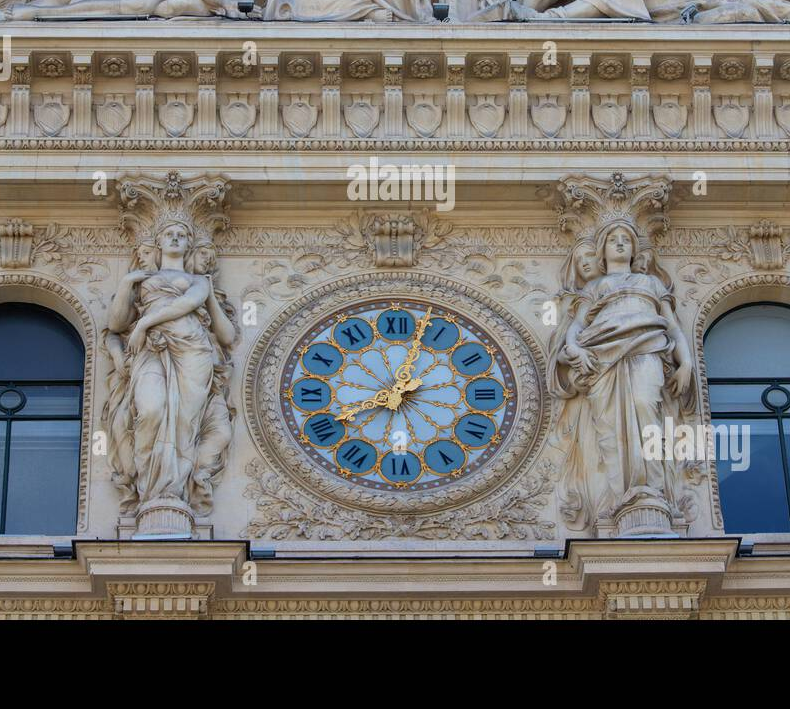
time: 8:02
